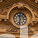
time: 11:32
